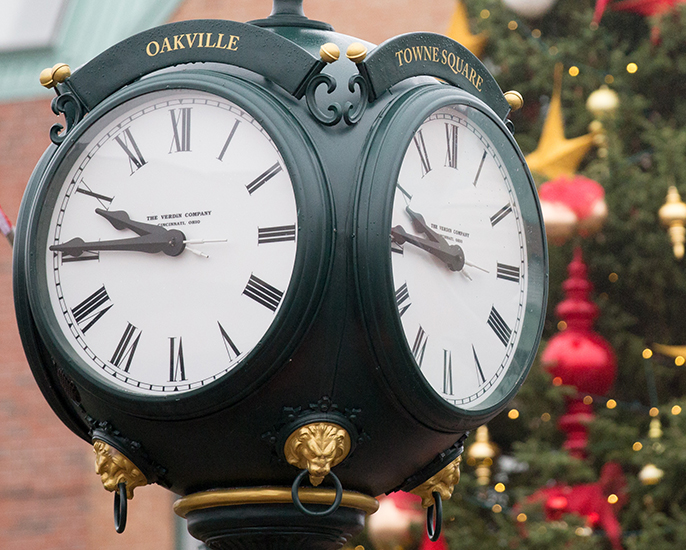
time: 9:45
